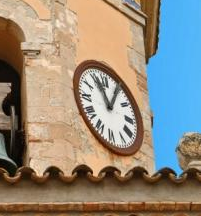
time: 11:05
